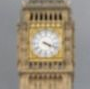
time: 4:18
